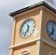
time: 11:35
